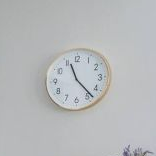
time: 11:23
